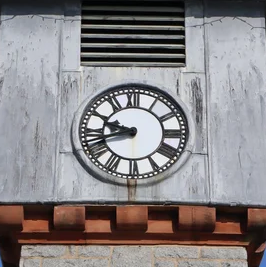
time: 9:42
